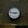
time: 2:46
